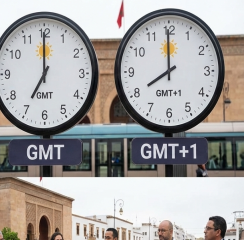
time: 7:59
